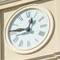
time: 12:46
